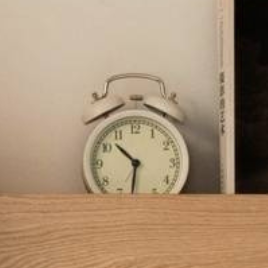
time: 10:31
